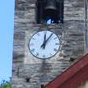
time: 12:06
